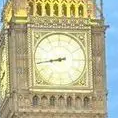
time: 8:43
